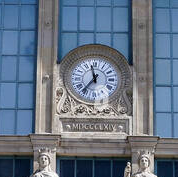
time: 11:36
